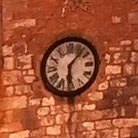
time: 6:06
